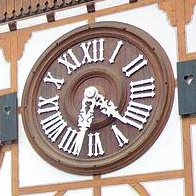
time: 6:22
